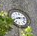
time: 8:12
